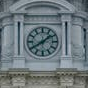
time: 1:39
